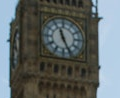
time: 11:25
